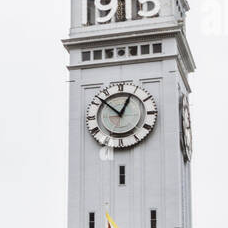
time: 12:52
